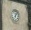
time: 6:06
